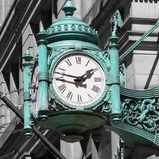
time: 1:47
